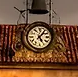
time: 5:06
